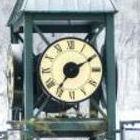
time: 7:10
